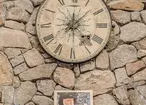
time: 12:07
